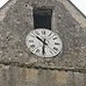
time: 10:31
